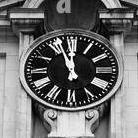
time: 11:56
